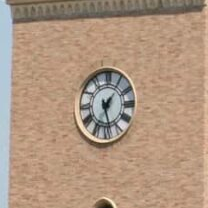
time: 1:28
